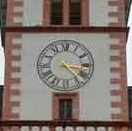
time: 3:23
